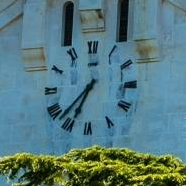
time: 7:34
